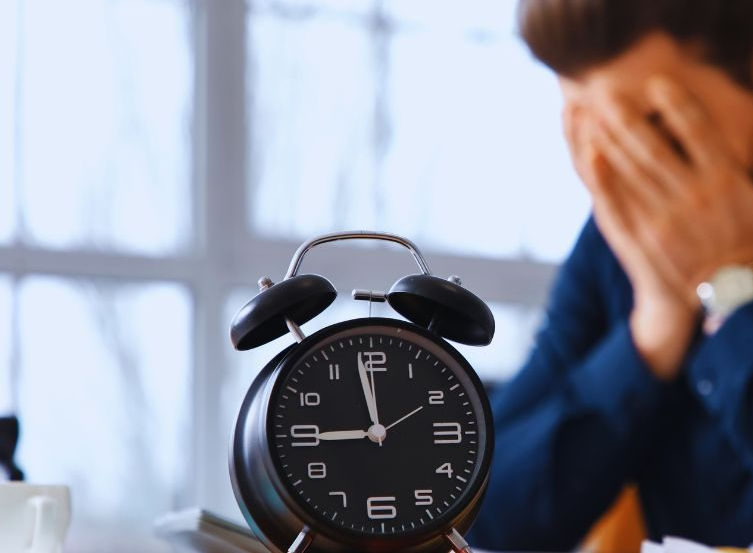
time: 11:44
